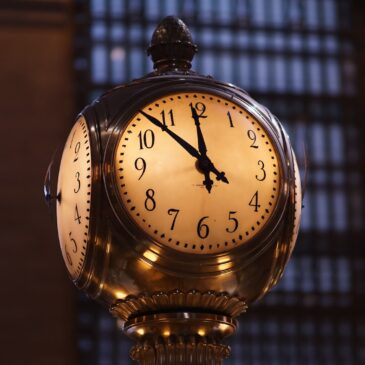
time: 11:52
